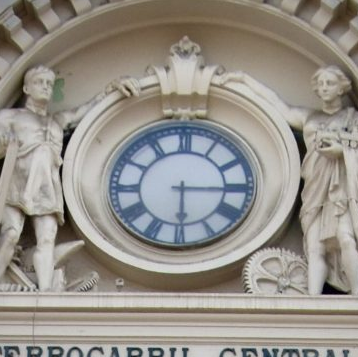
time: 3:29
